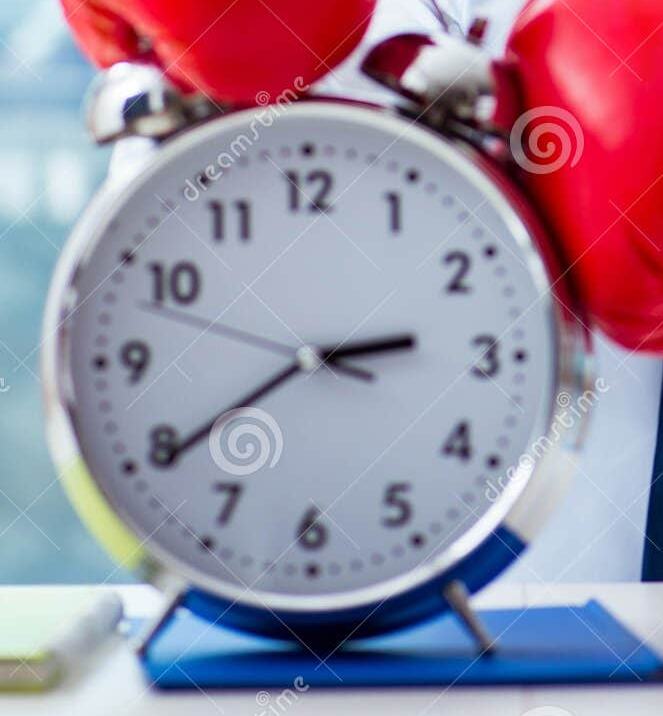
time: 2:39
